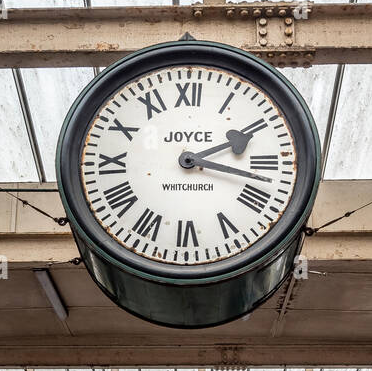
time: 2:17
